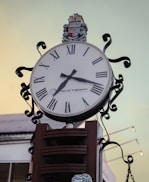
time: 7:18
